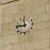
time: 11:46
